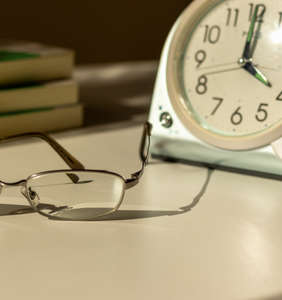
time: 4:00
